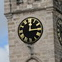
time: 12:14
